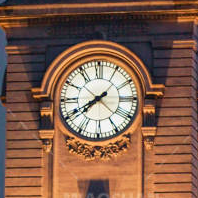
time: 7:40
